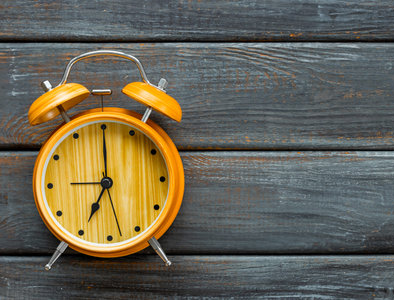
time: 7:00
